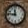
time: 11:46
